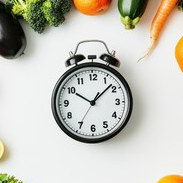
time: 10:07
